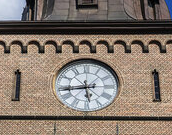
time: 5:43
